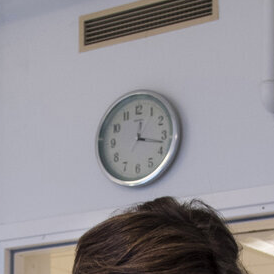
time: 12:17
